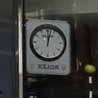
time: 12:02
